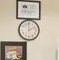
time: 1:59
